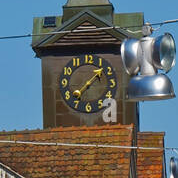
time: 1:36
